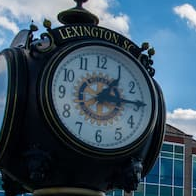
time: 1:14
